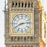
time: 8:13
